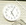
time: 5:04
